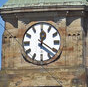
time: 12:20
